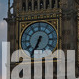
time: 6:34
